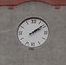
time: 2:08
